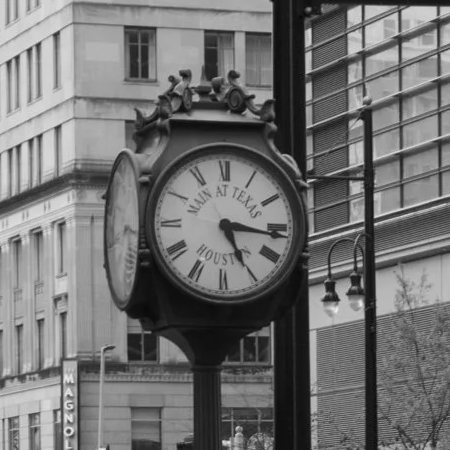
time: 5:16
